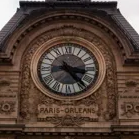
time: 3:23
